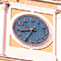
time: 8:34
